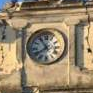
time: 7:54
